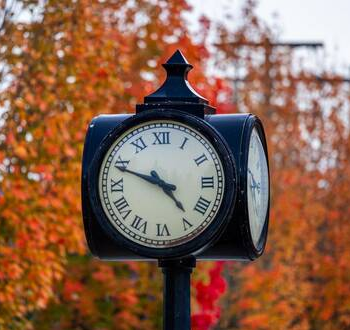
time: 4:48
